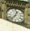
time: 12:36
